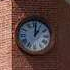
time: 1:01
